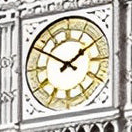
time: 1:50
